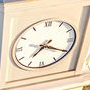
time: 7:19
